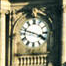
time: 3:47
